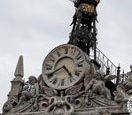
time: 4:40
